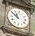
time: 11:52
